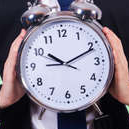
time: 10:11
